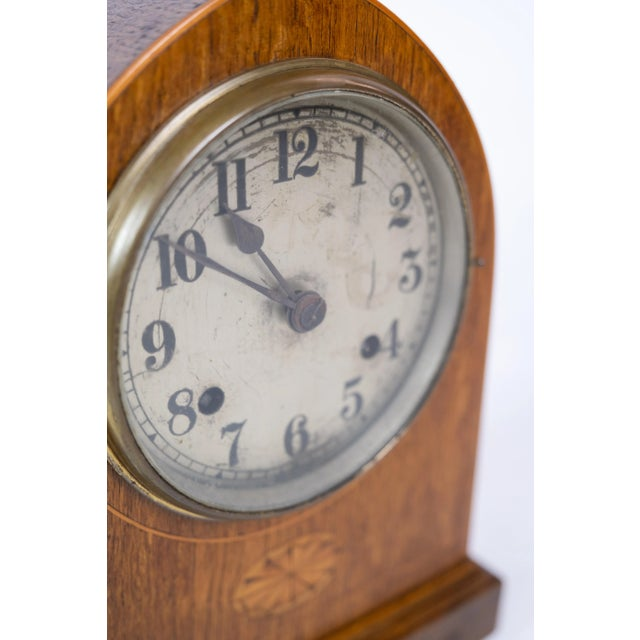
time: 10:50
